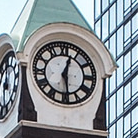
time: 12:28
